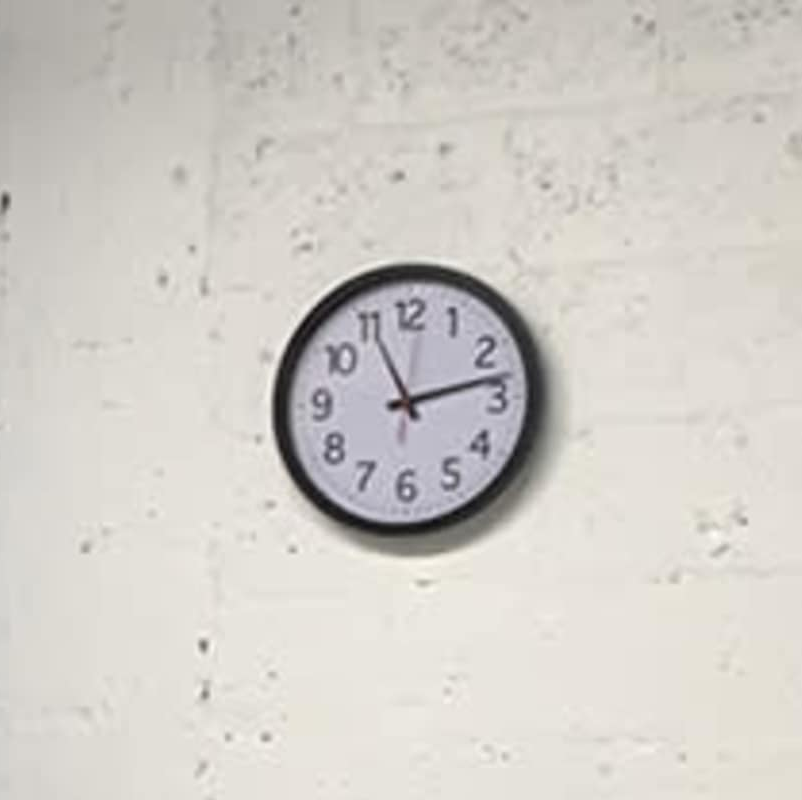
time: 11:12
